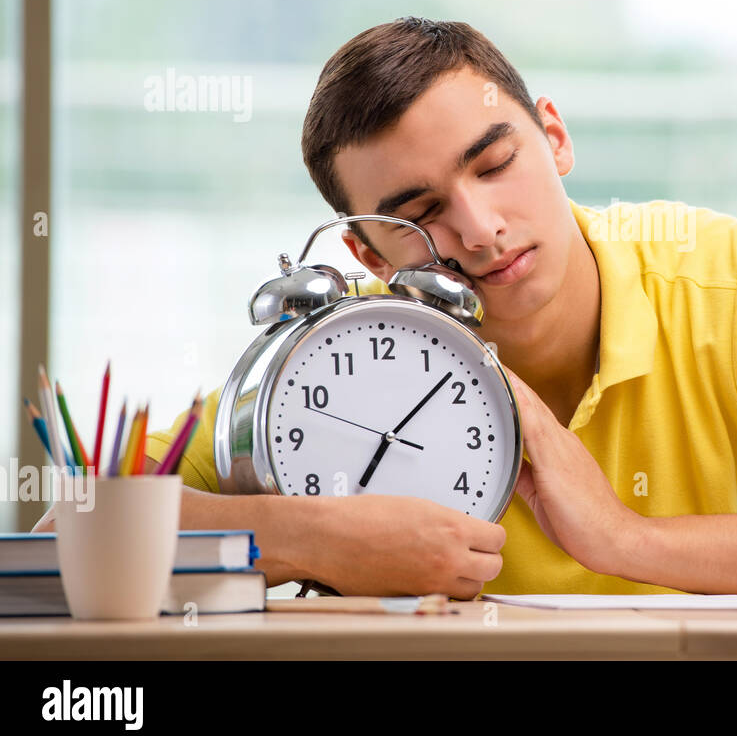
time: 7:08
